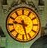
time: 9:27
